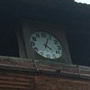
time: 4:04
